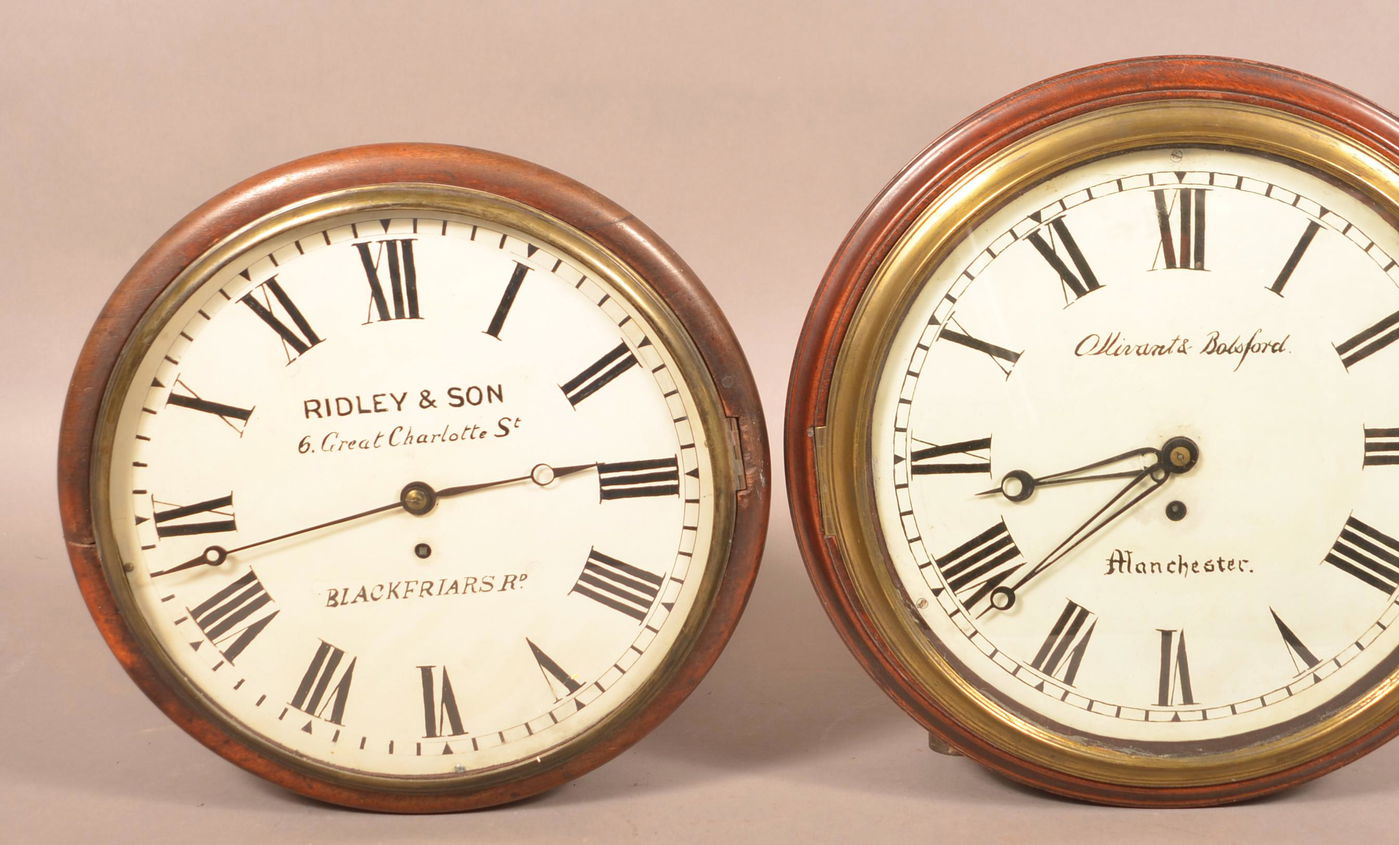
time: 2:42
